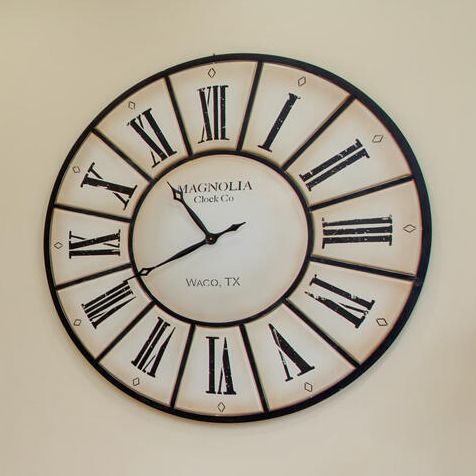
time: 10:41
